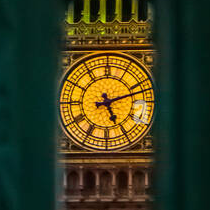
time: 5:12
